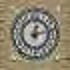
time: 12:12
